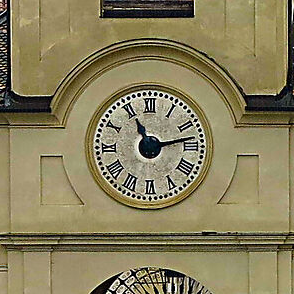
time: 11:13
